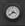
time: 3:38
